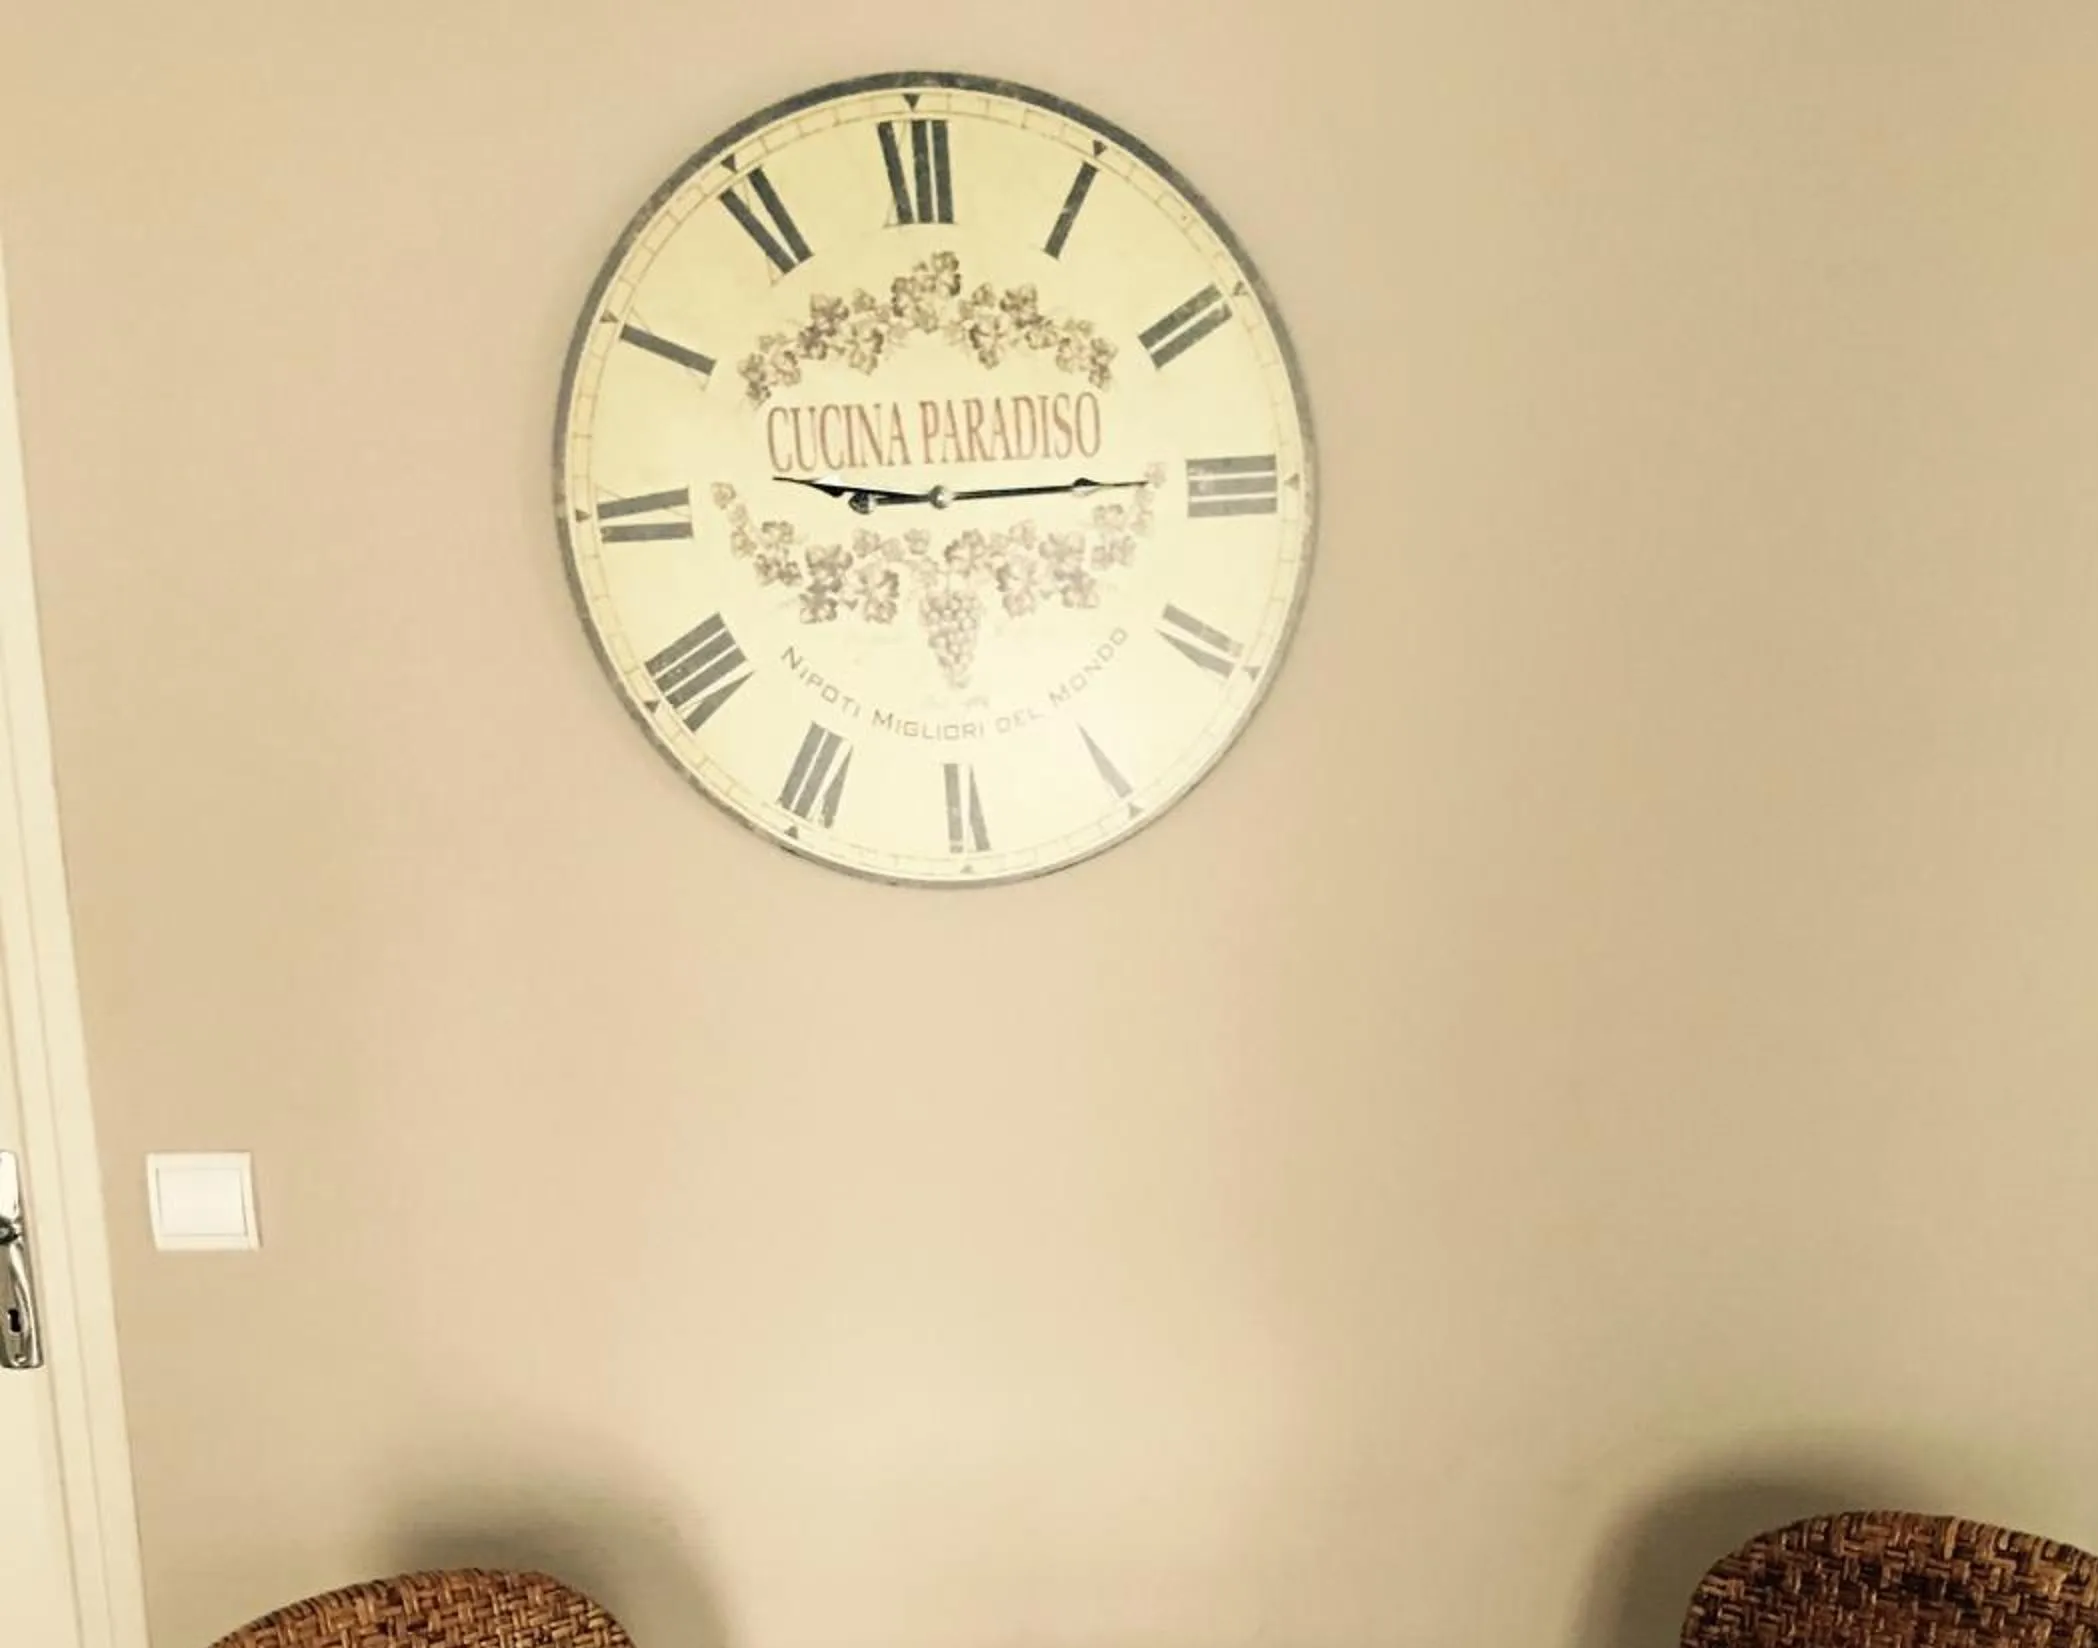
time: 9:14
